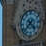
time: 4:37
